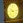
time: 10:14
